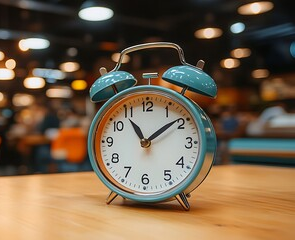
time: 11:08
